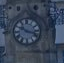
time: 10:17
